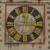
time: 12:14
